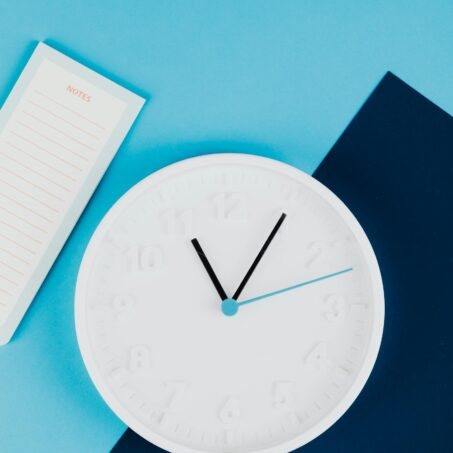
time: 11:05
